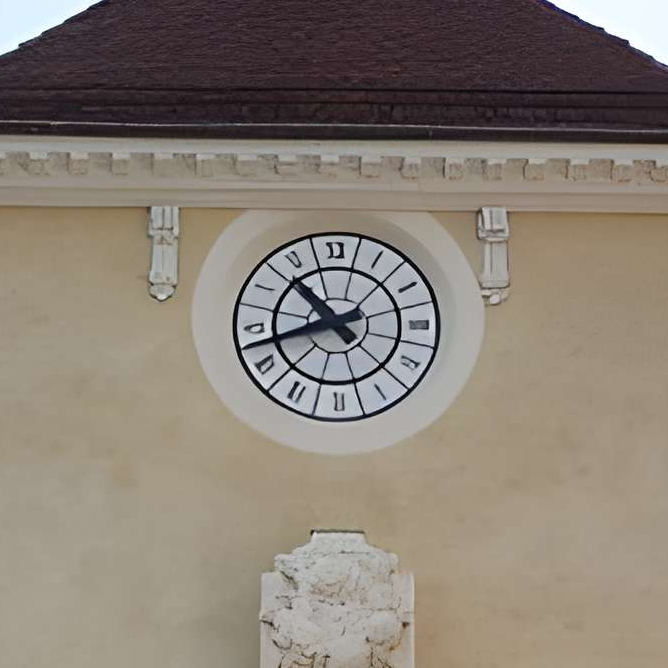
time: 10:42
